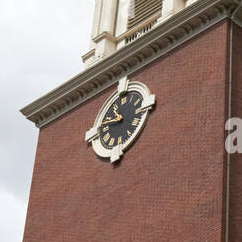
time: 10:45
